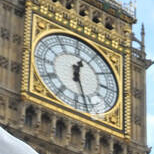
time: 12:27
